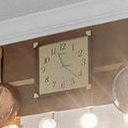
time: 11:22
